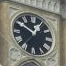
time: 12:50
